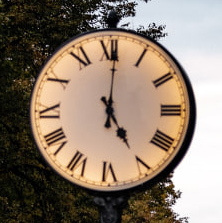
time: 5:00
